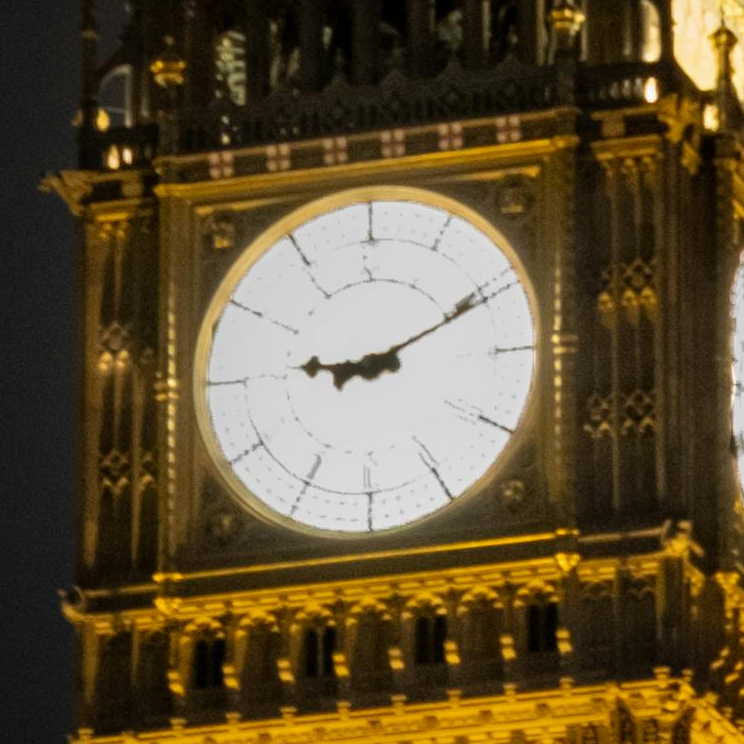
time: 9:10
